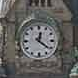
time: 12:21
